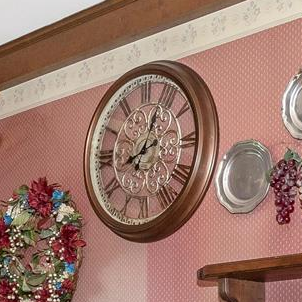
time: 8:03
